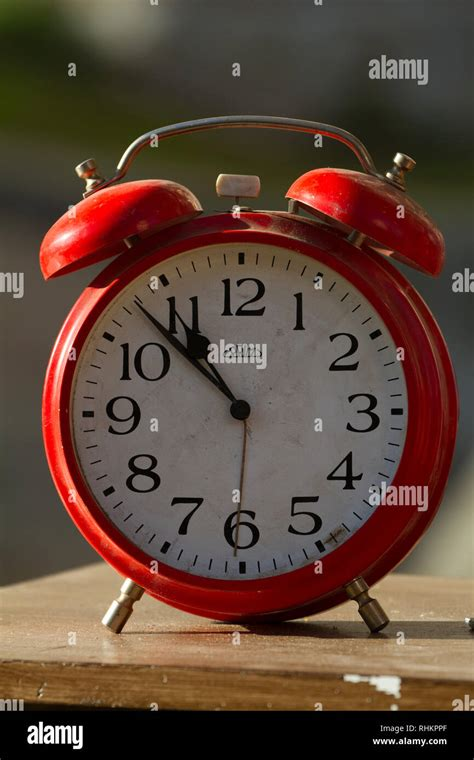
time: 10:52
